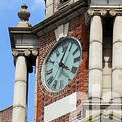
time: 4:04
